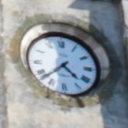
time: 4:37
